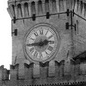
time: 2:44
